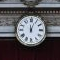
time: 12:04
